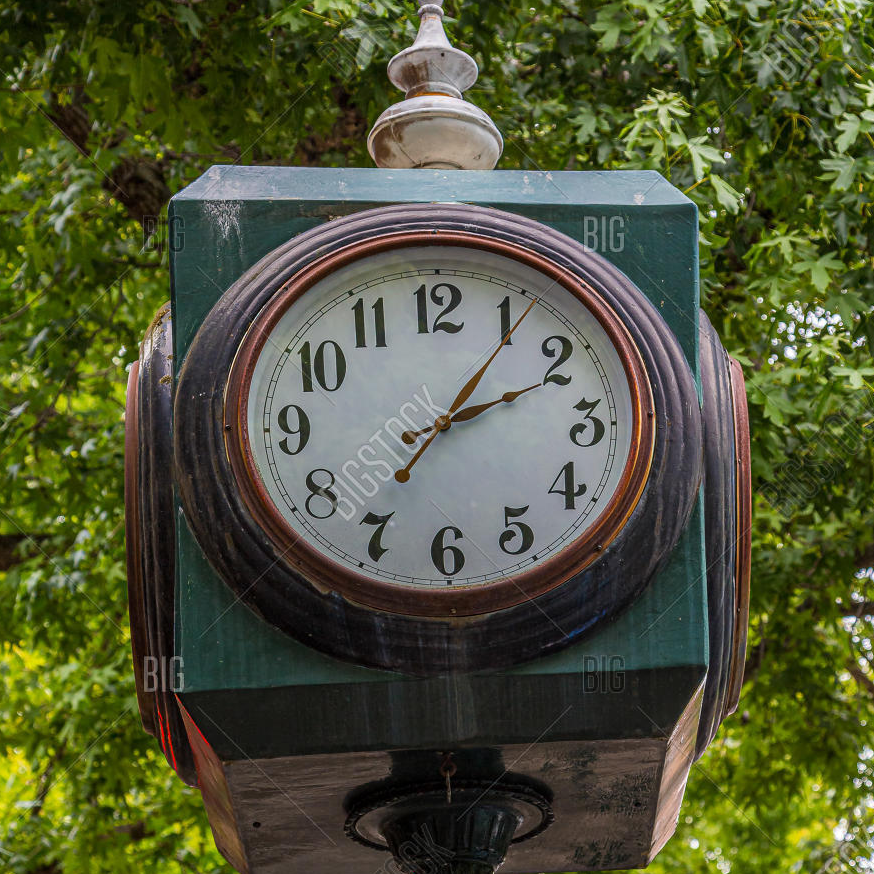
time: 2:06
